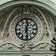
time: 12:28
